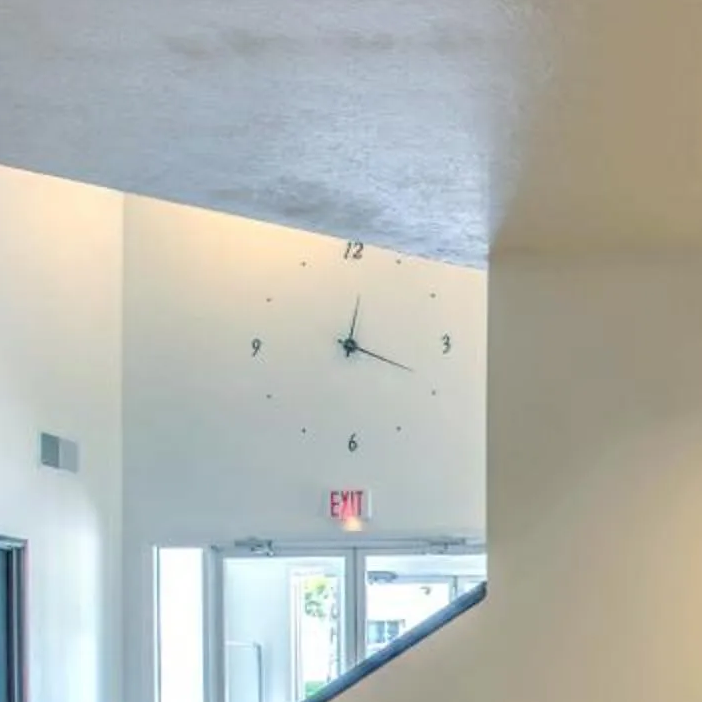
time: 12:18
